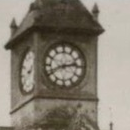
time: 2:41
